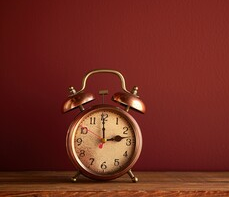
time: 2:59
